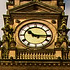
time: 10:15
